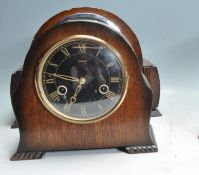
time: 6:47
